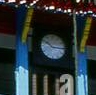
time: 10:14
